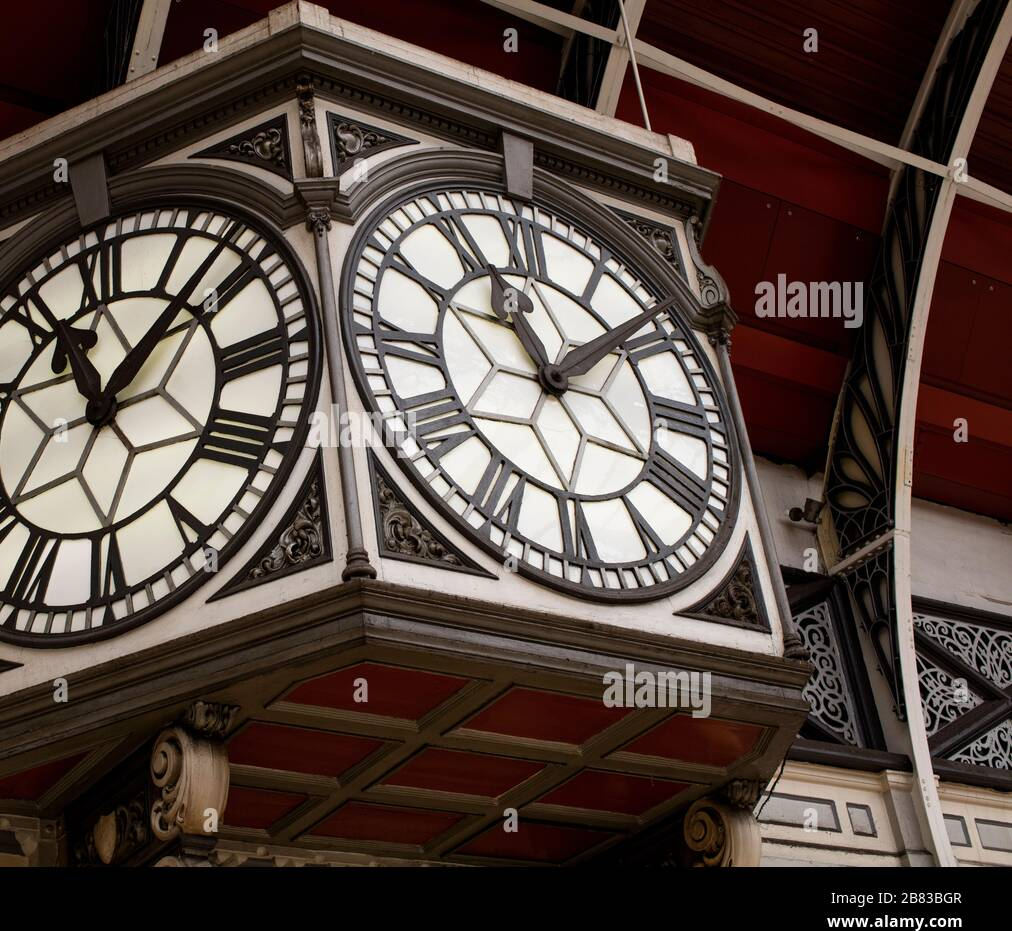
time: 11:08
